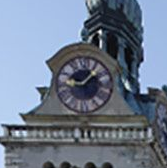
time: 9:07
